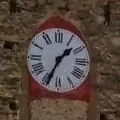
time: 1:34
